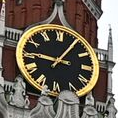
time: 9:05
